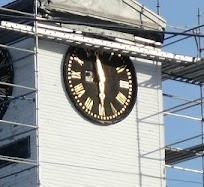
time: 11:29
